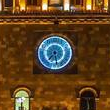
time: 7:28
